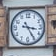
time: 3:24
